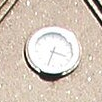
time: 3:33
